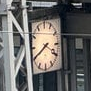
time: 3:40
